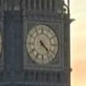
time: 4:22
